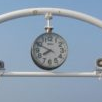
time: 7:49
